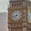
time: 6:42
